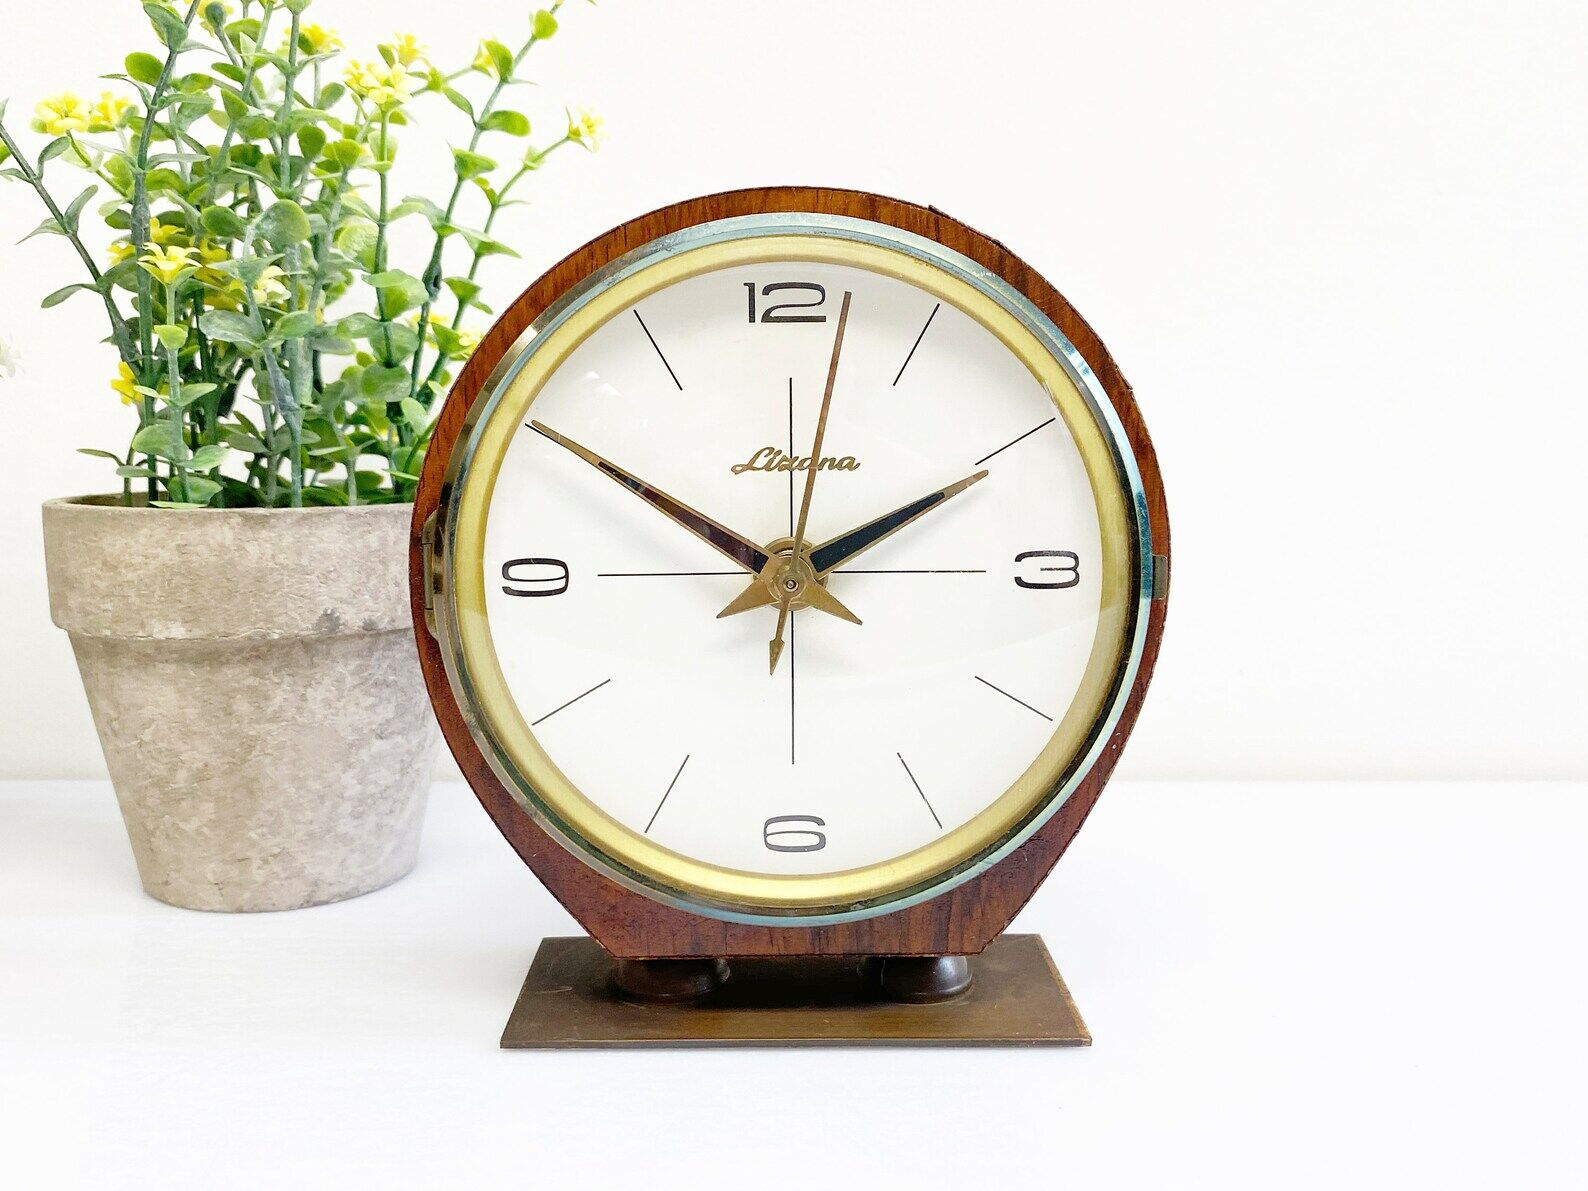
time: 1:50
